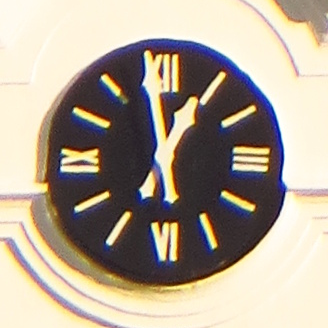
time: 12:58
